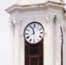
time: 11:40
